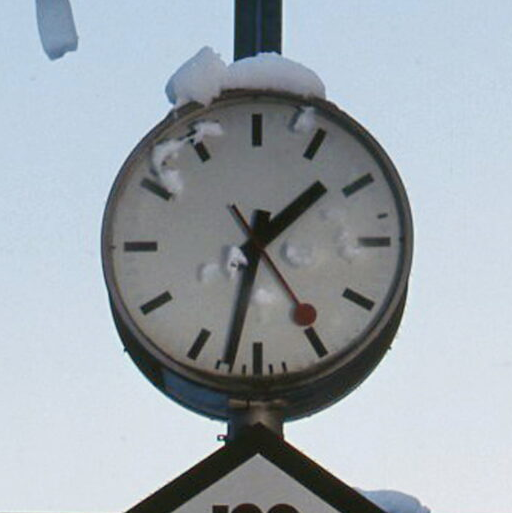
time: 1:32
